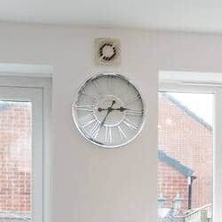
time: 2:35
